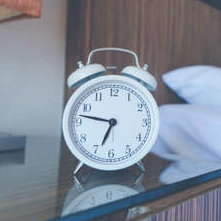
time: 6:46
